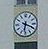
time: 6:18
